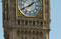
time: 1:40
